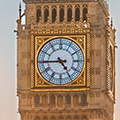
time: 4:44
